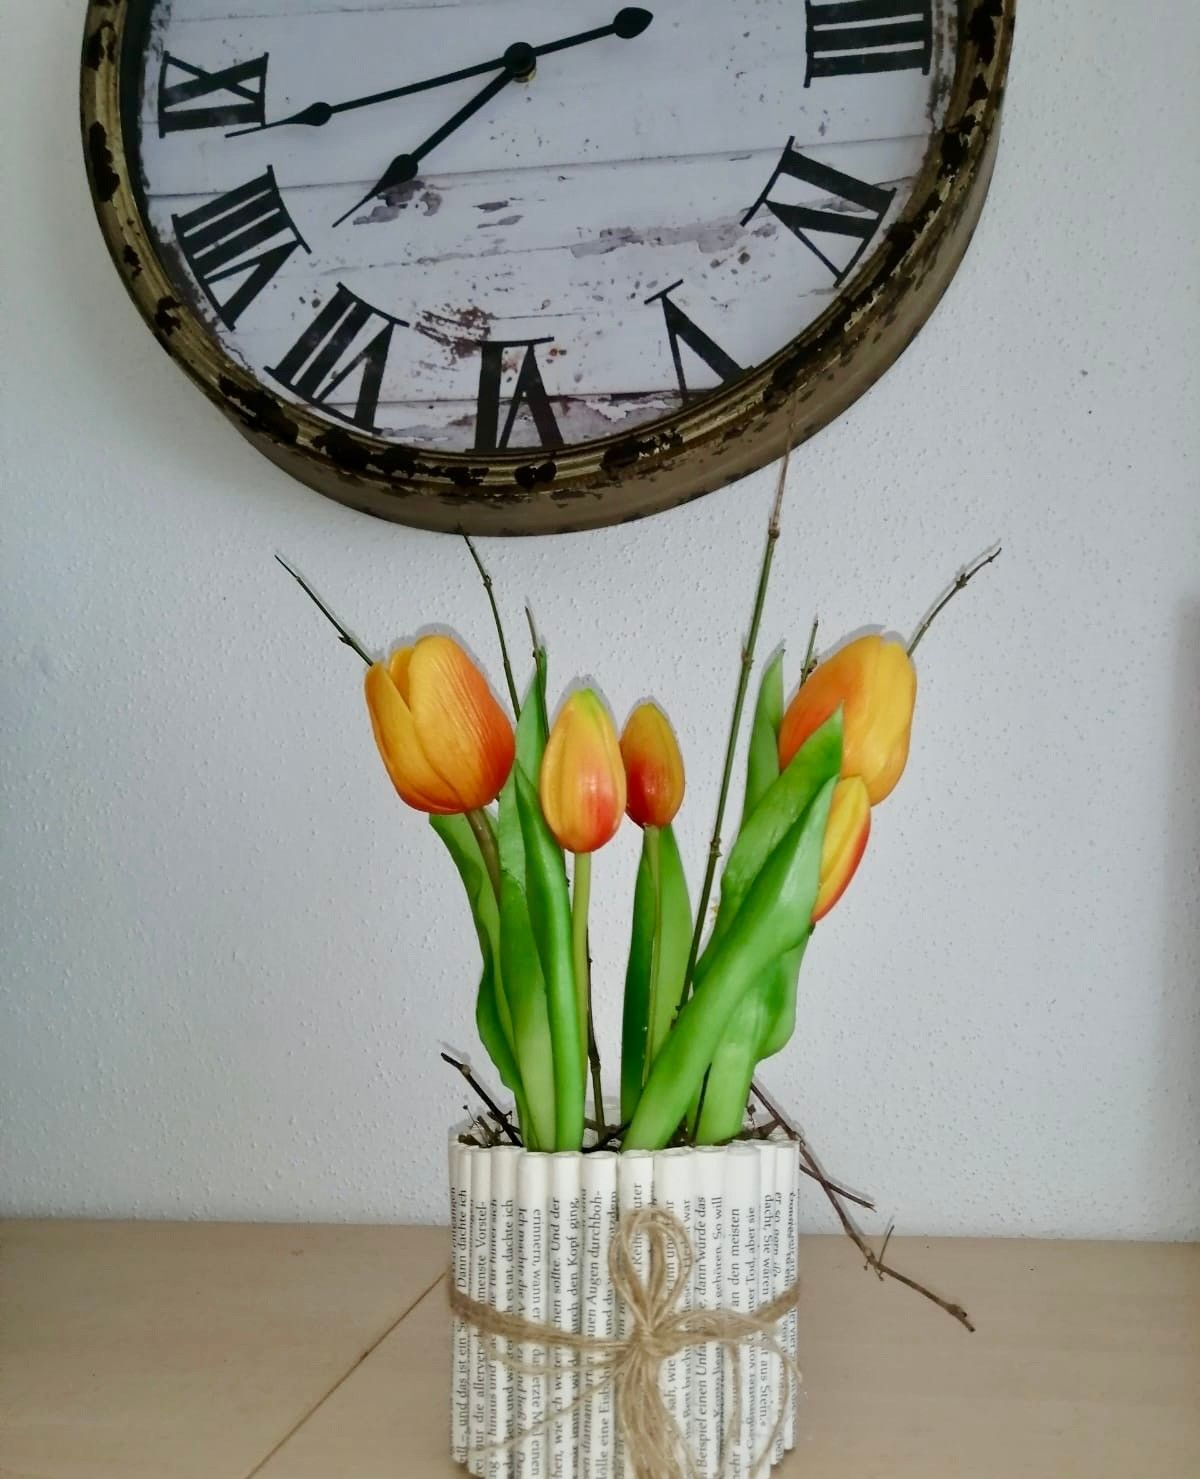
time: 7:42
